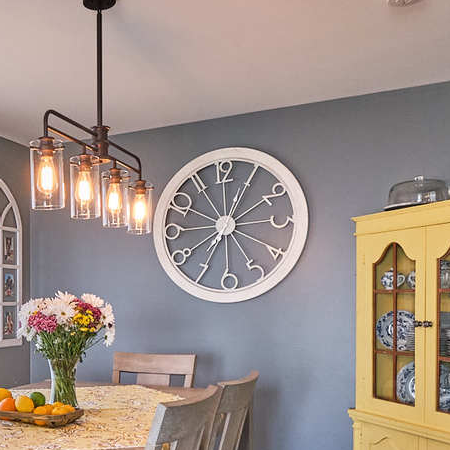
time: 12:04
